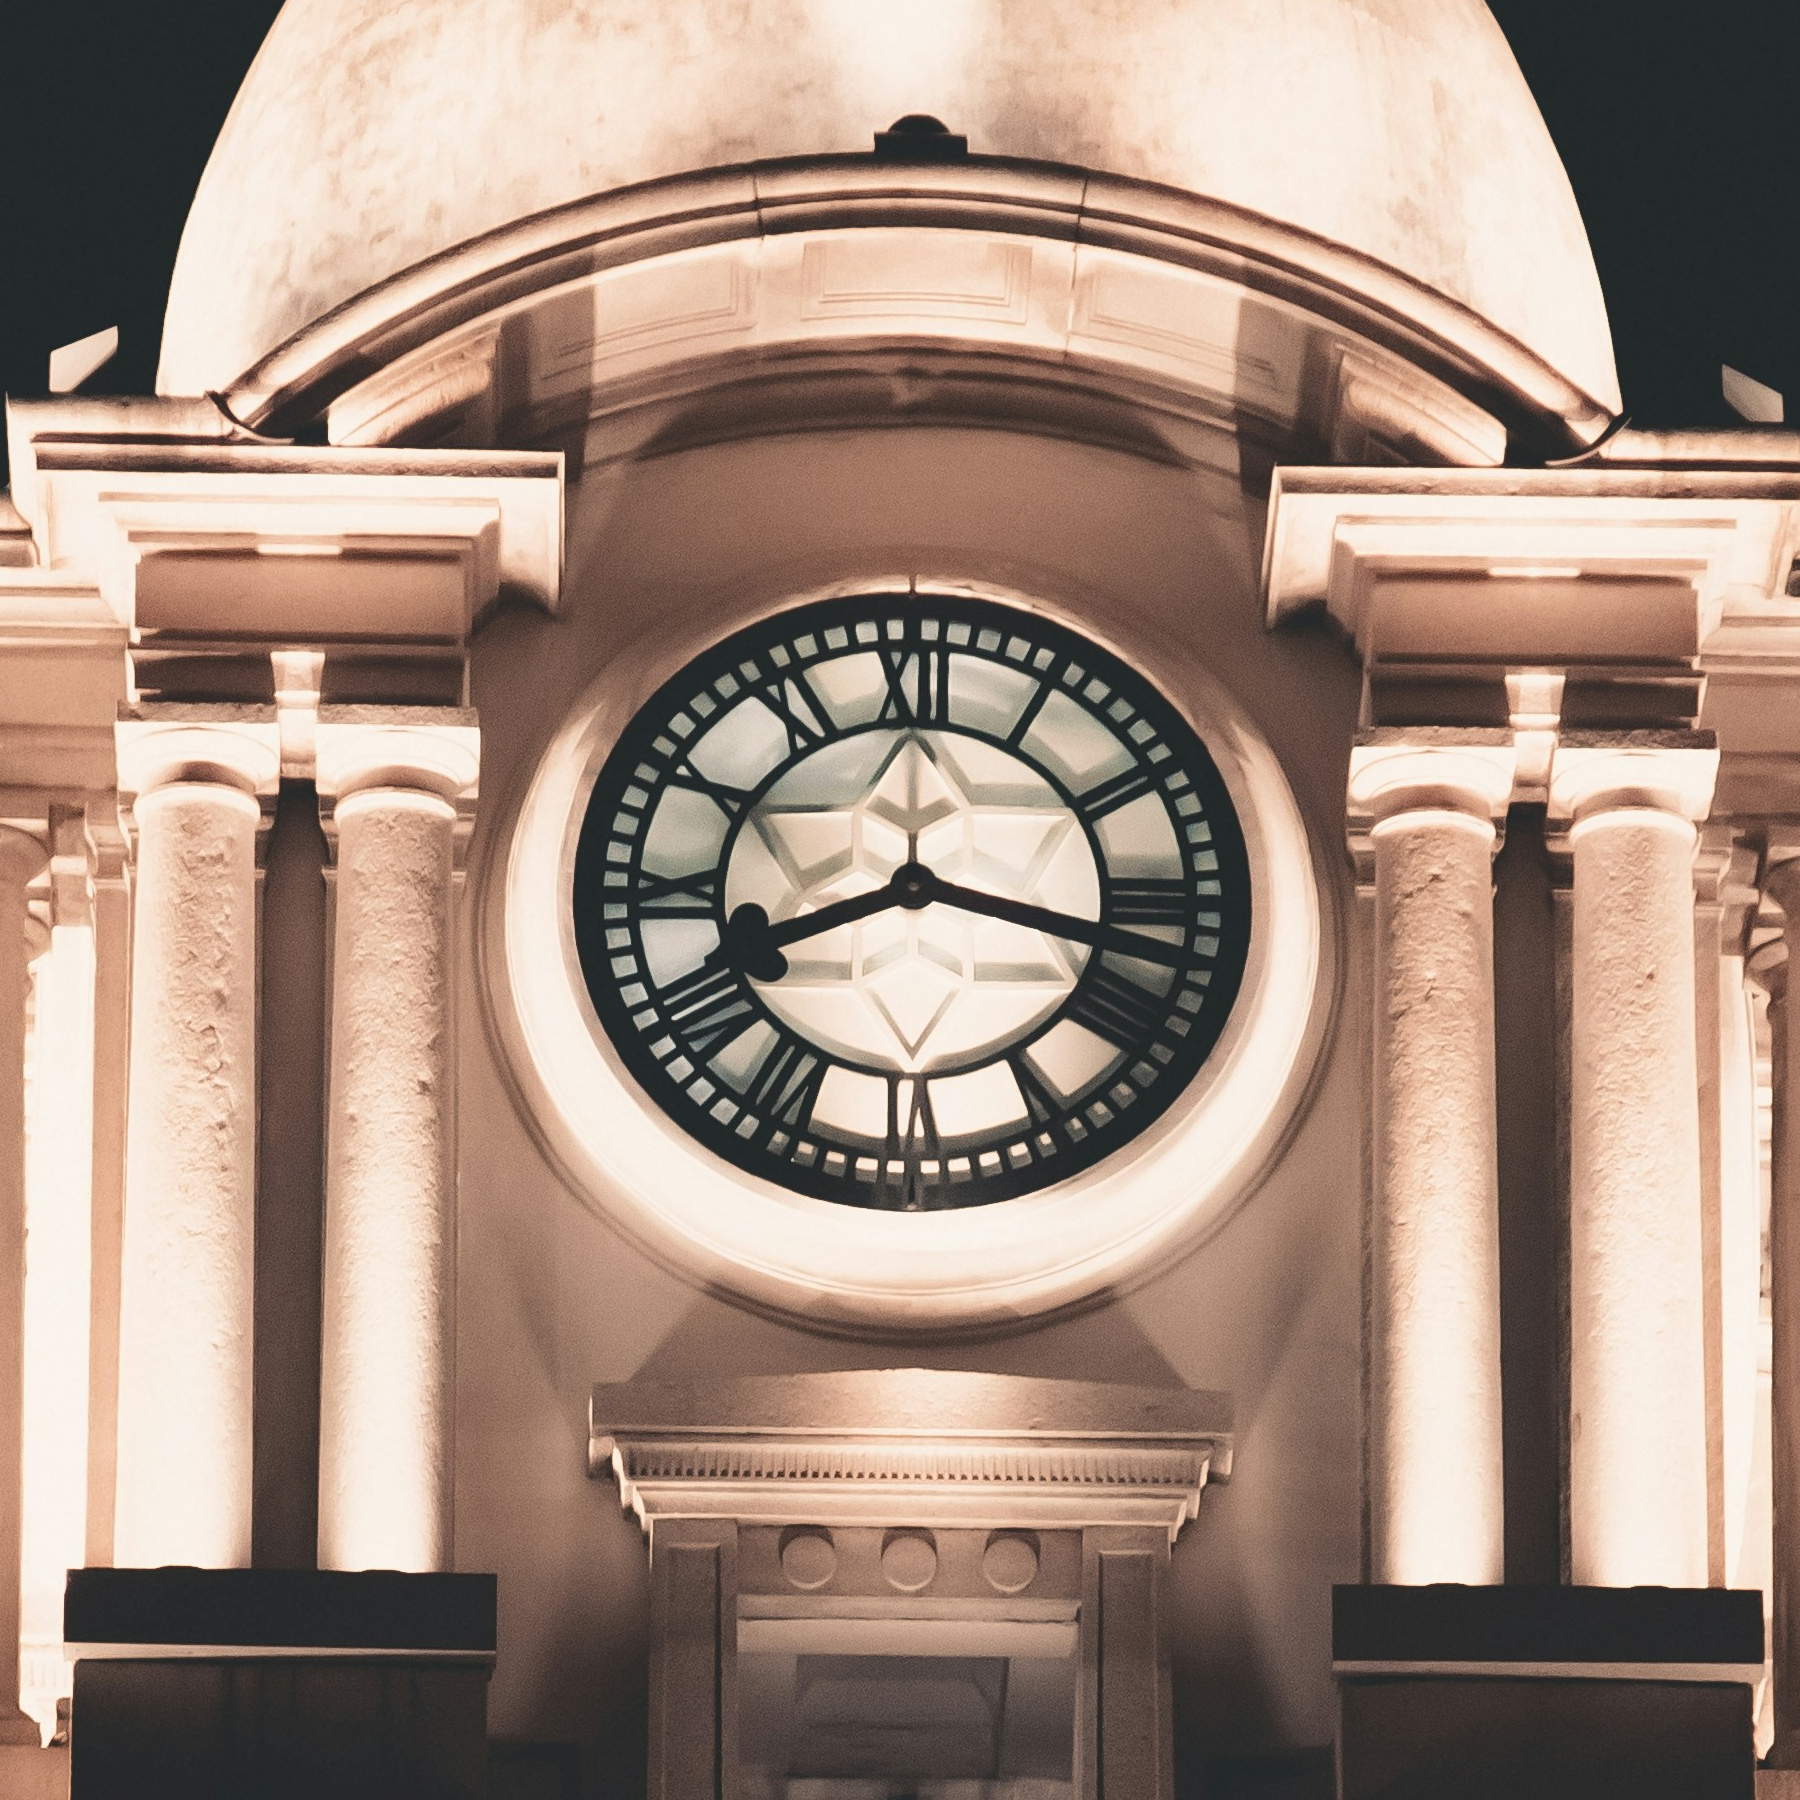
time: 8:16
